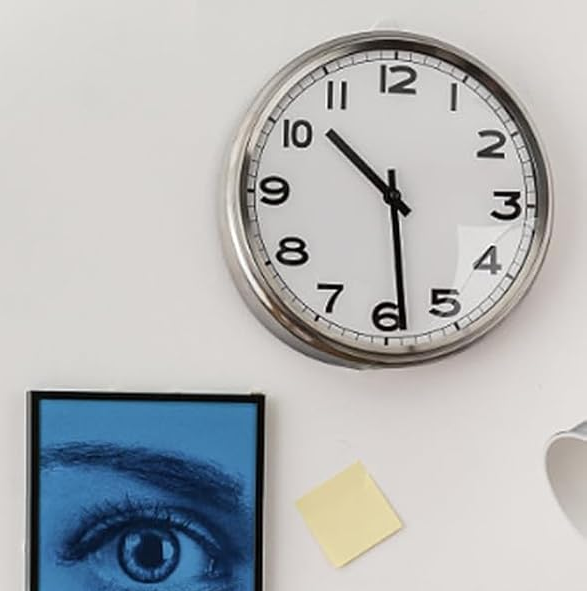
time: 10:28
